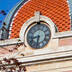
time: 8:32
